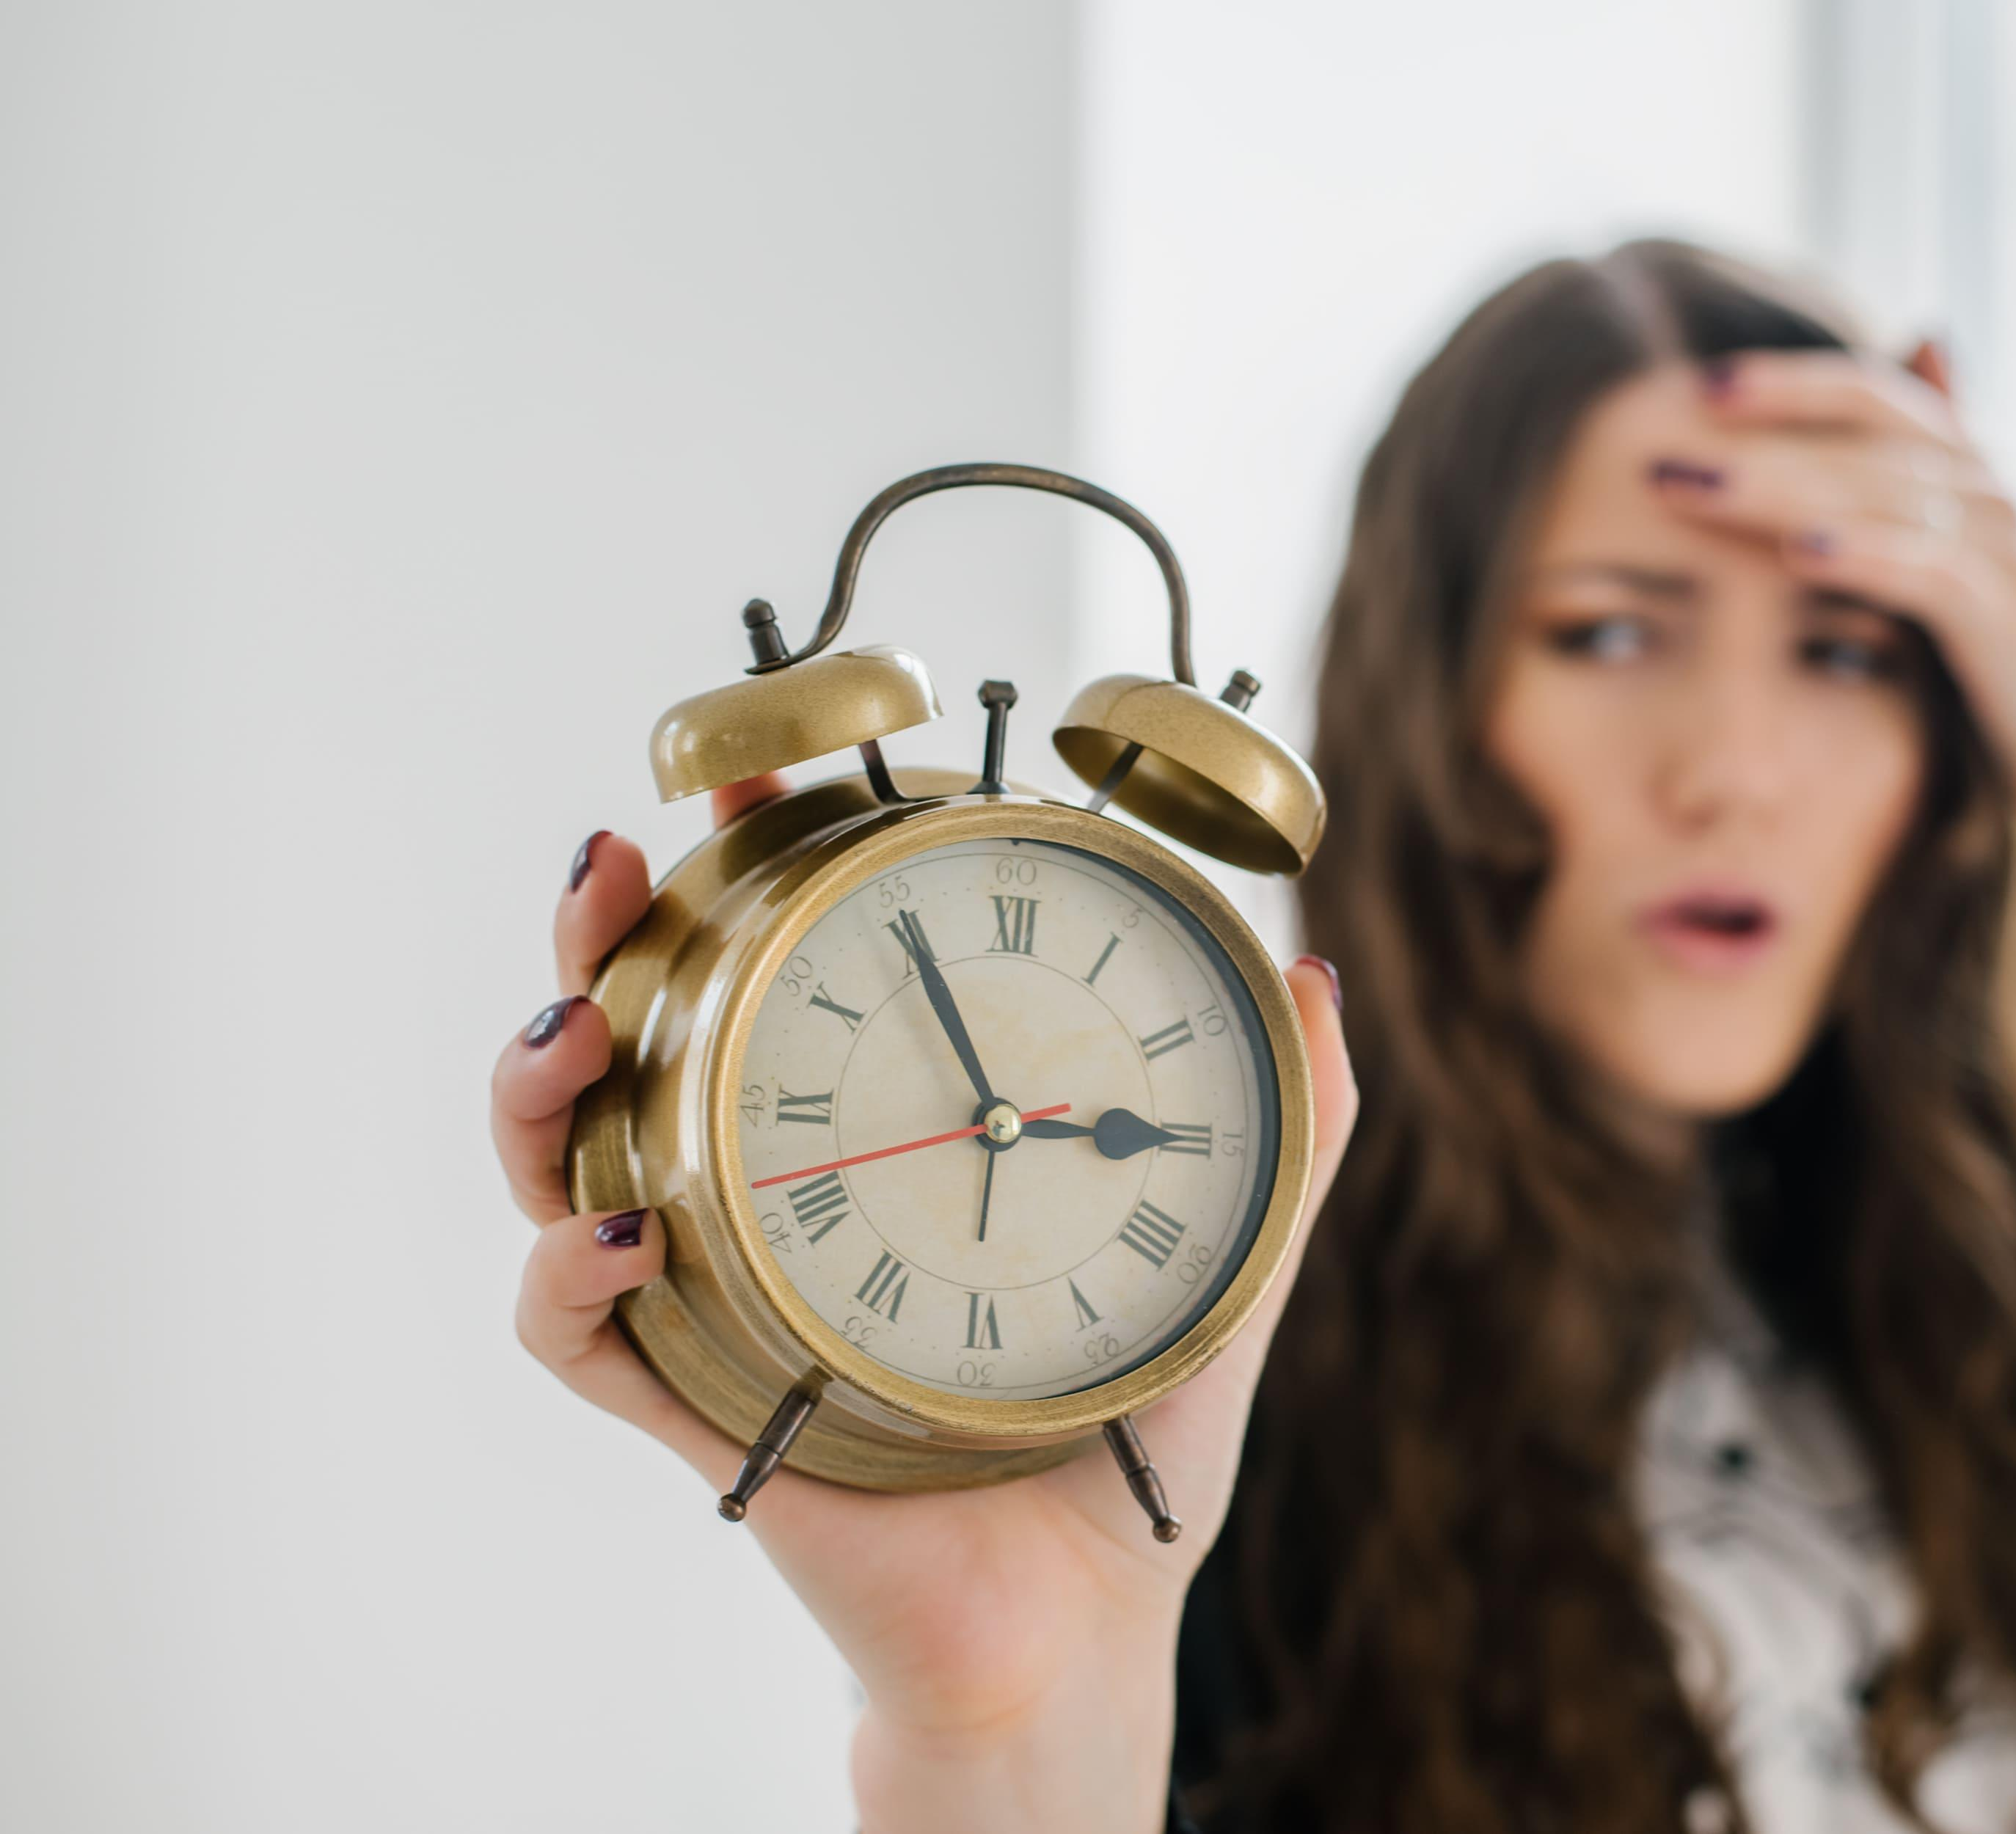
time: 2:55
